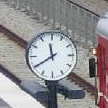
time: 11:39
